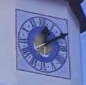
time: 12:10
